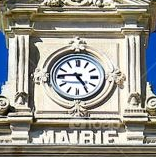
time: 4:45
